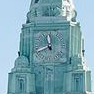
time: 11:41
